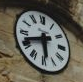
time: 5:41
